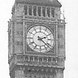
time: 2:21
